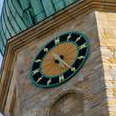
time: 8:20
